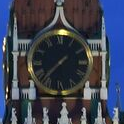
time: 7:37
